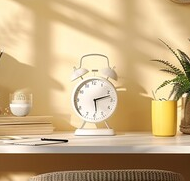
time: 2:29
